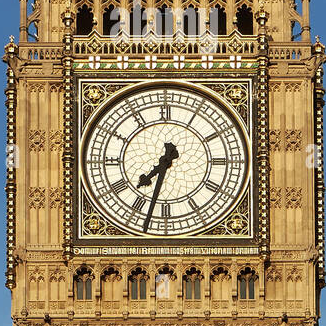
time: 7:32
